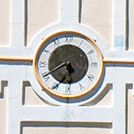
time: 5:34
